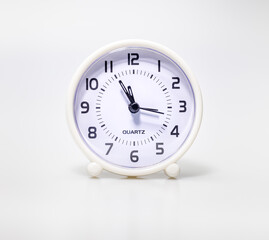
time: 11:16
